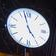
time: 4:57
